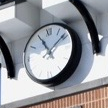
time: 11:08
